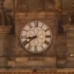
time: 8:39
